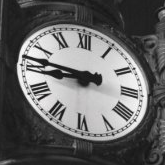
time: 8:46
